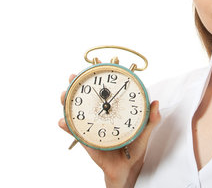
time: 12:05
